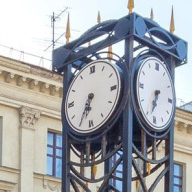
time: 6:34
